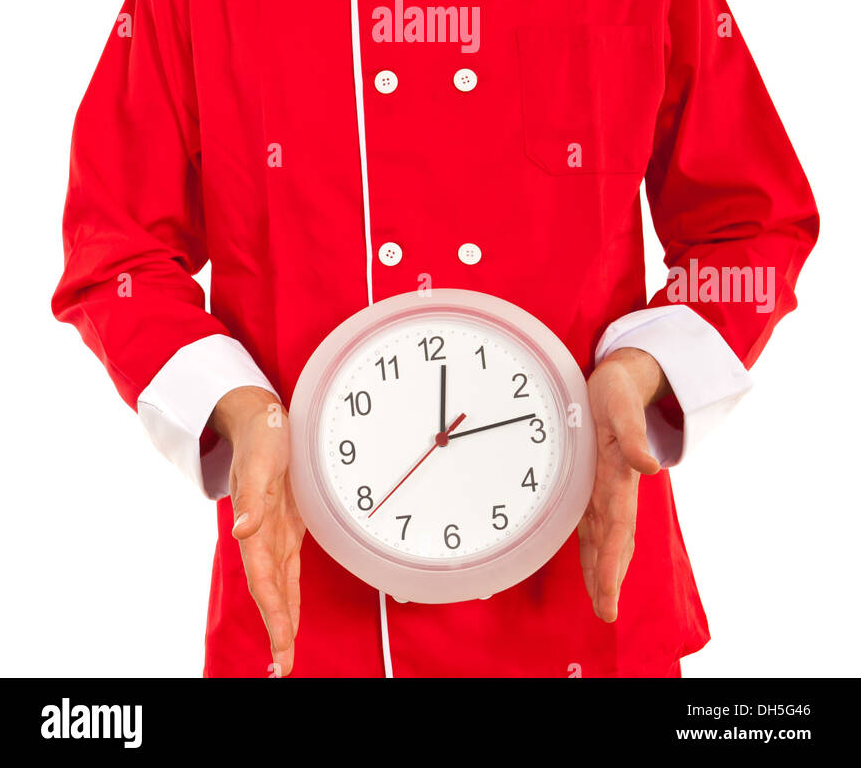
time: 12:13
